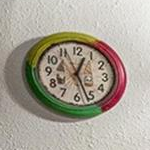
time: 12:26
